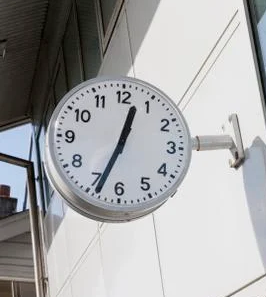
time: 12:33
